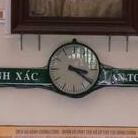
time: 3:21
